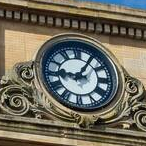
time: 9:05
